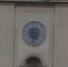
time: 4:32
